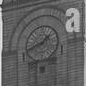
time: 1:41
